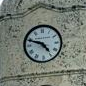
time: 4:48
